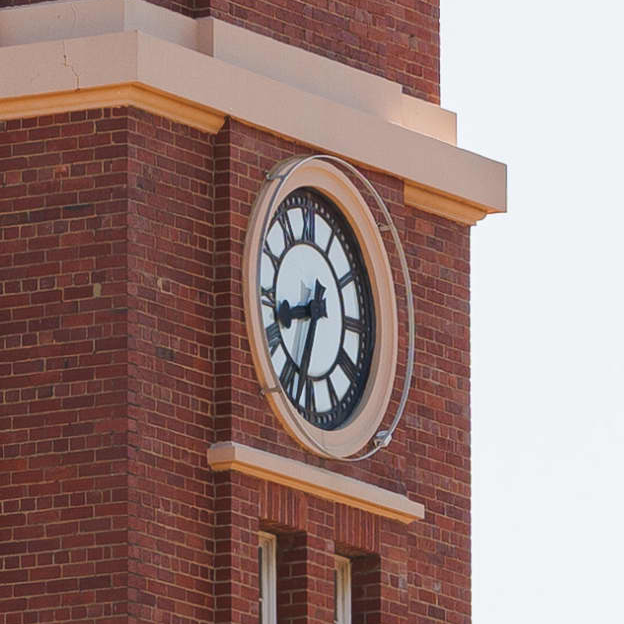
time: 8:33
